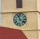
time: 11:21
